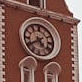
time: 4:39
